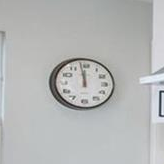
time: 11:58
